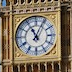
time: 11:04
